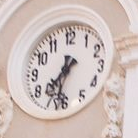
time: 7:32
